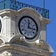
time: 12:16
